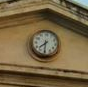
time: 7:30
